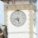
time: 8:27
